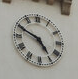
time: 4:49
